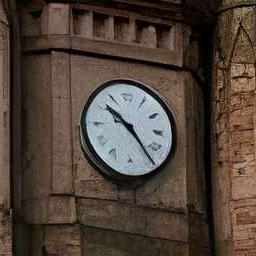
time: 10:24
